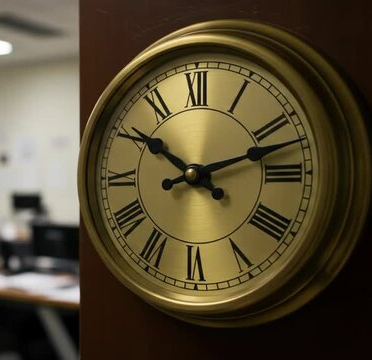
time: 10:12
